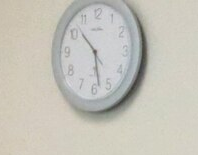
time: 10:28
